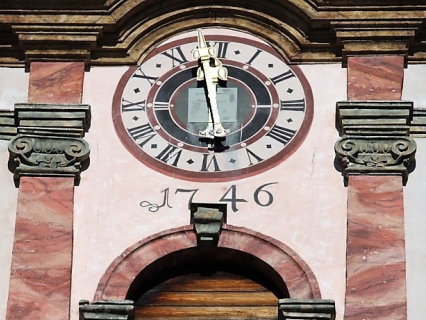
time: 5:57
